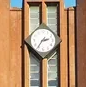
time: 2:36
